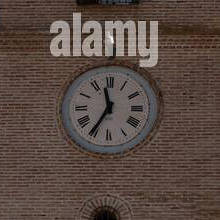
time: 11:35
